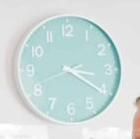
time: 3:20
